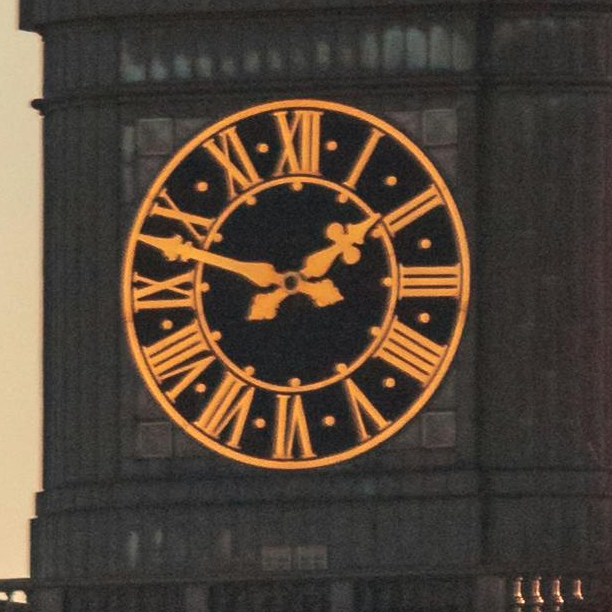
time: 1:47
